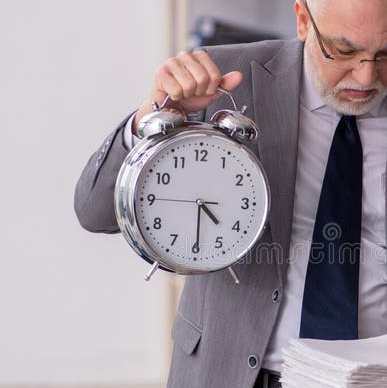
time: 4:29
